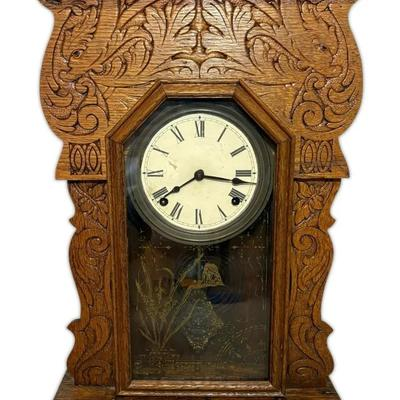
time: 8:16
